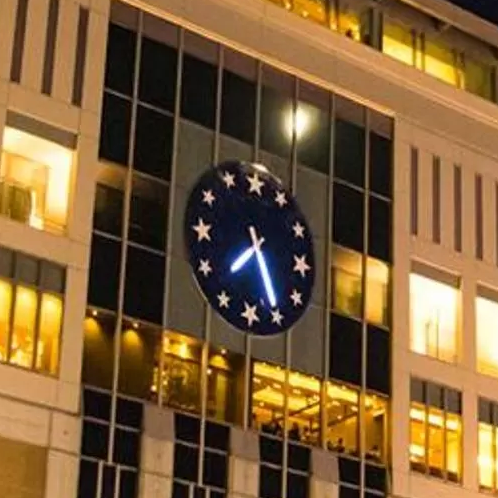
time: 7:25
